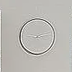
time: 9:12
